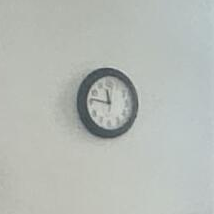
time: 11:46
